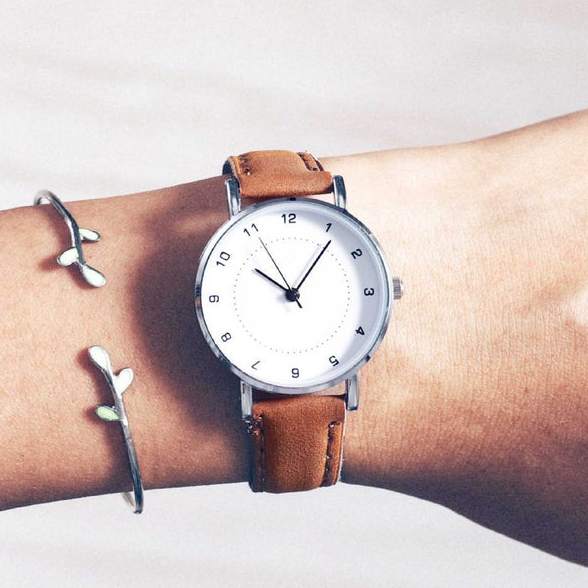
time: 10:06
